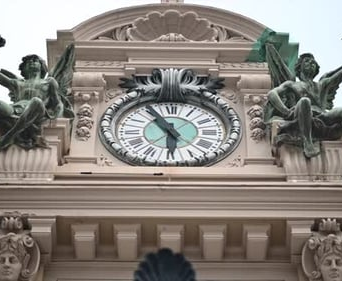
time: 5:55
